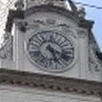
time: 5:18
